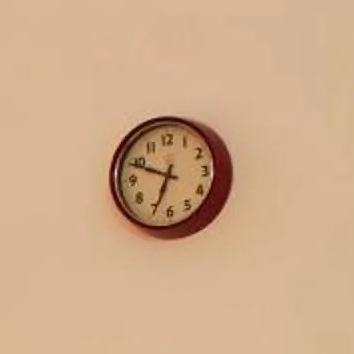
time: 6:48
